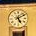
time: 5:09
